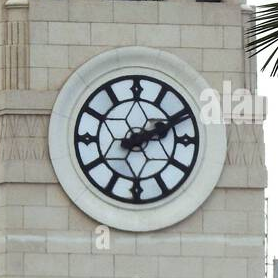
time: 2:10
